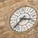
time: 7:15
